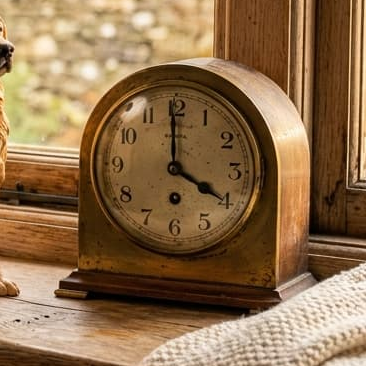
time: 3:59
